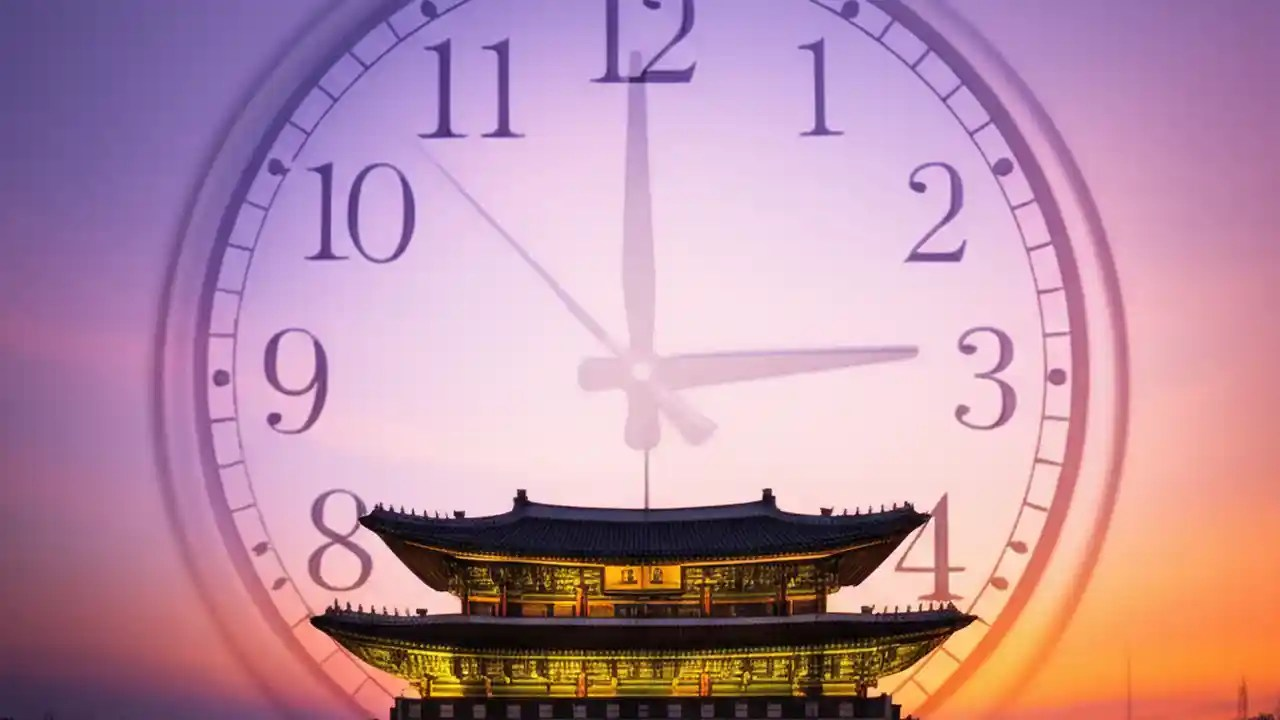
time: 2:59
